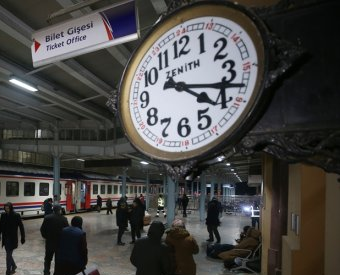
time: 4:17
